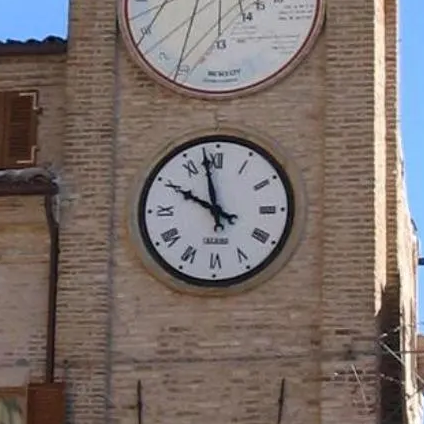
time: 9:57
